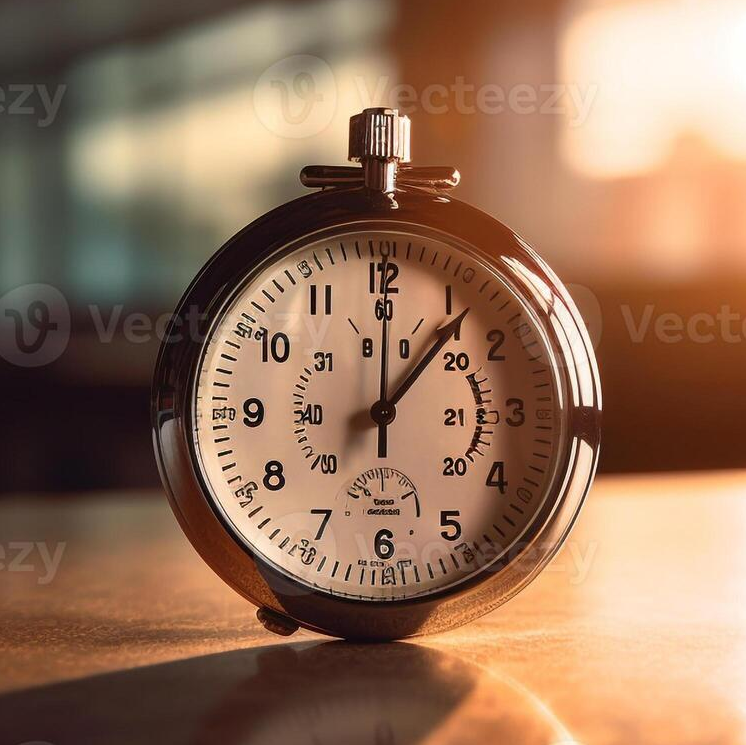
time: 12:07
